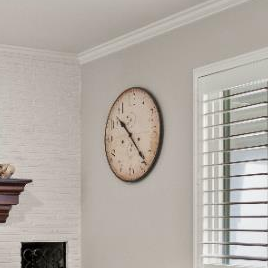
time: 10:22
